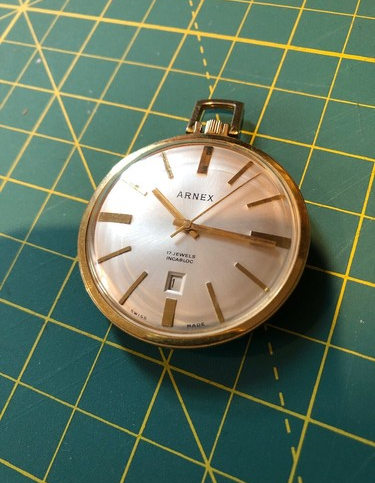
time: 10:15
